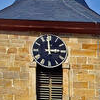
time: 2:59
